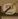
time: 1:37
